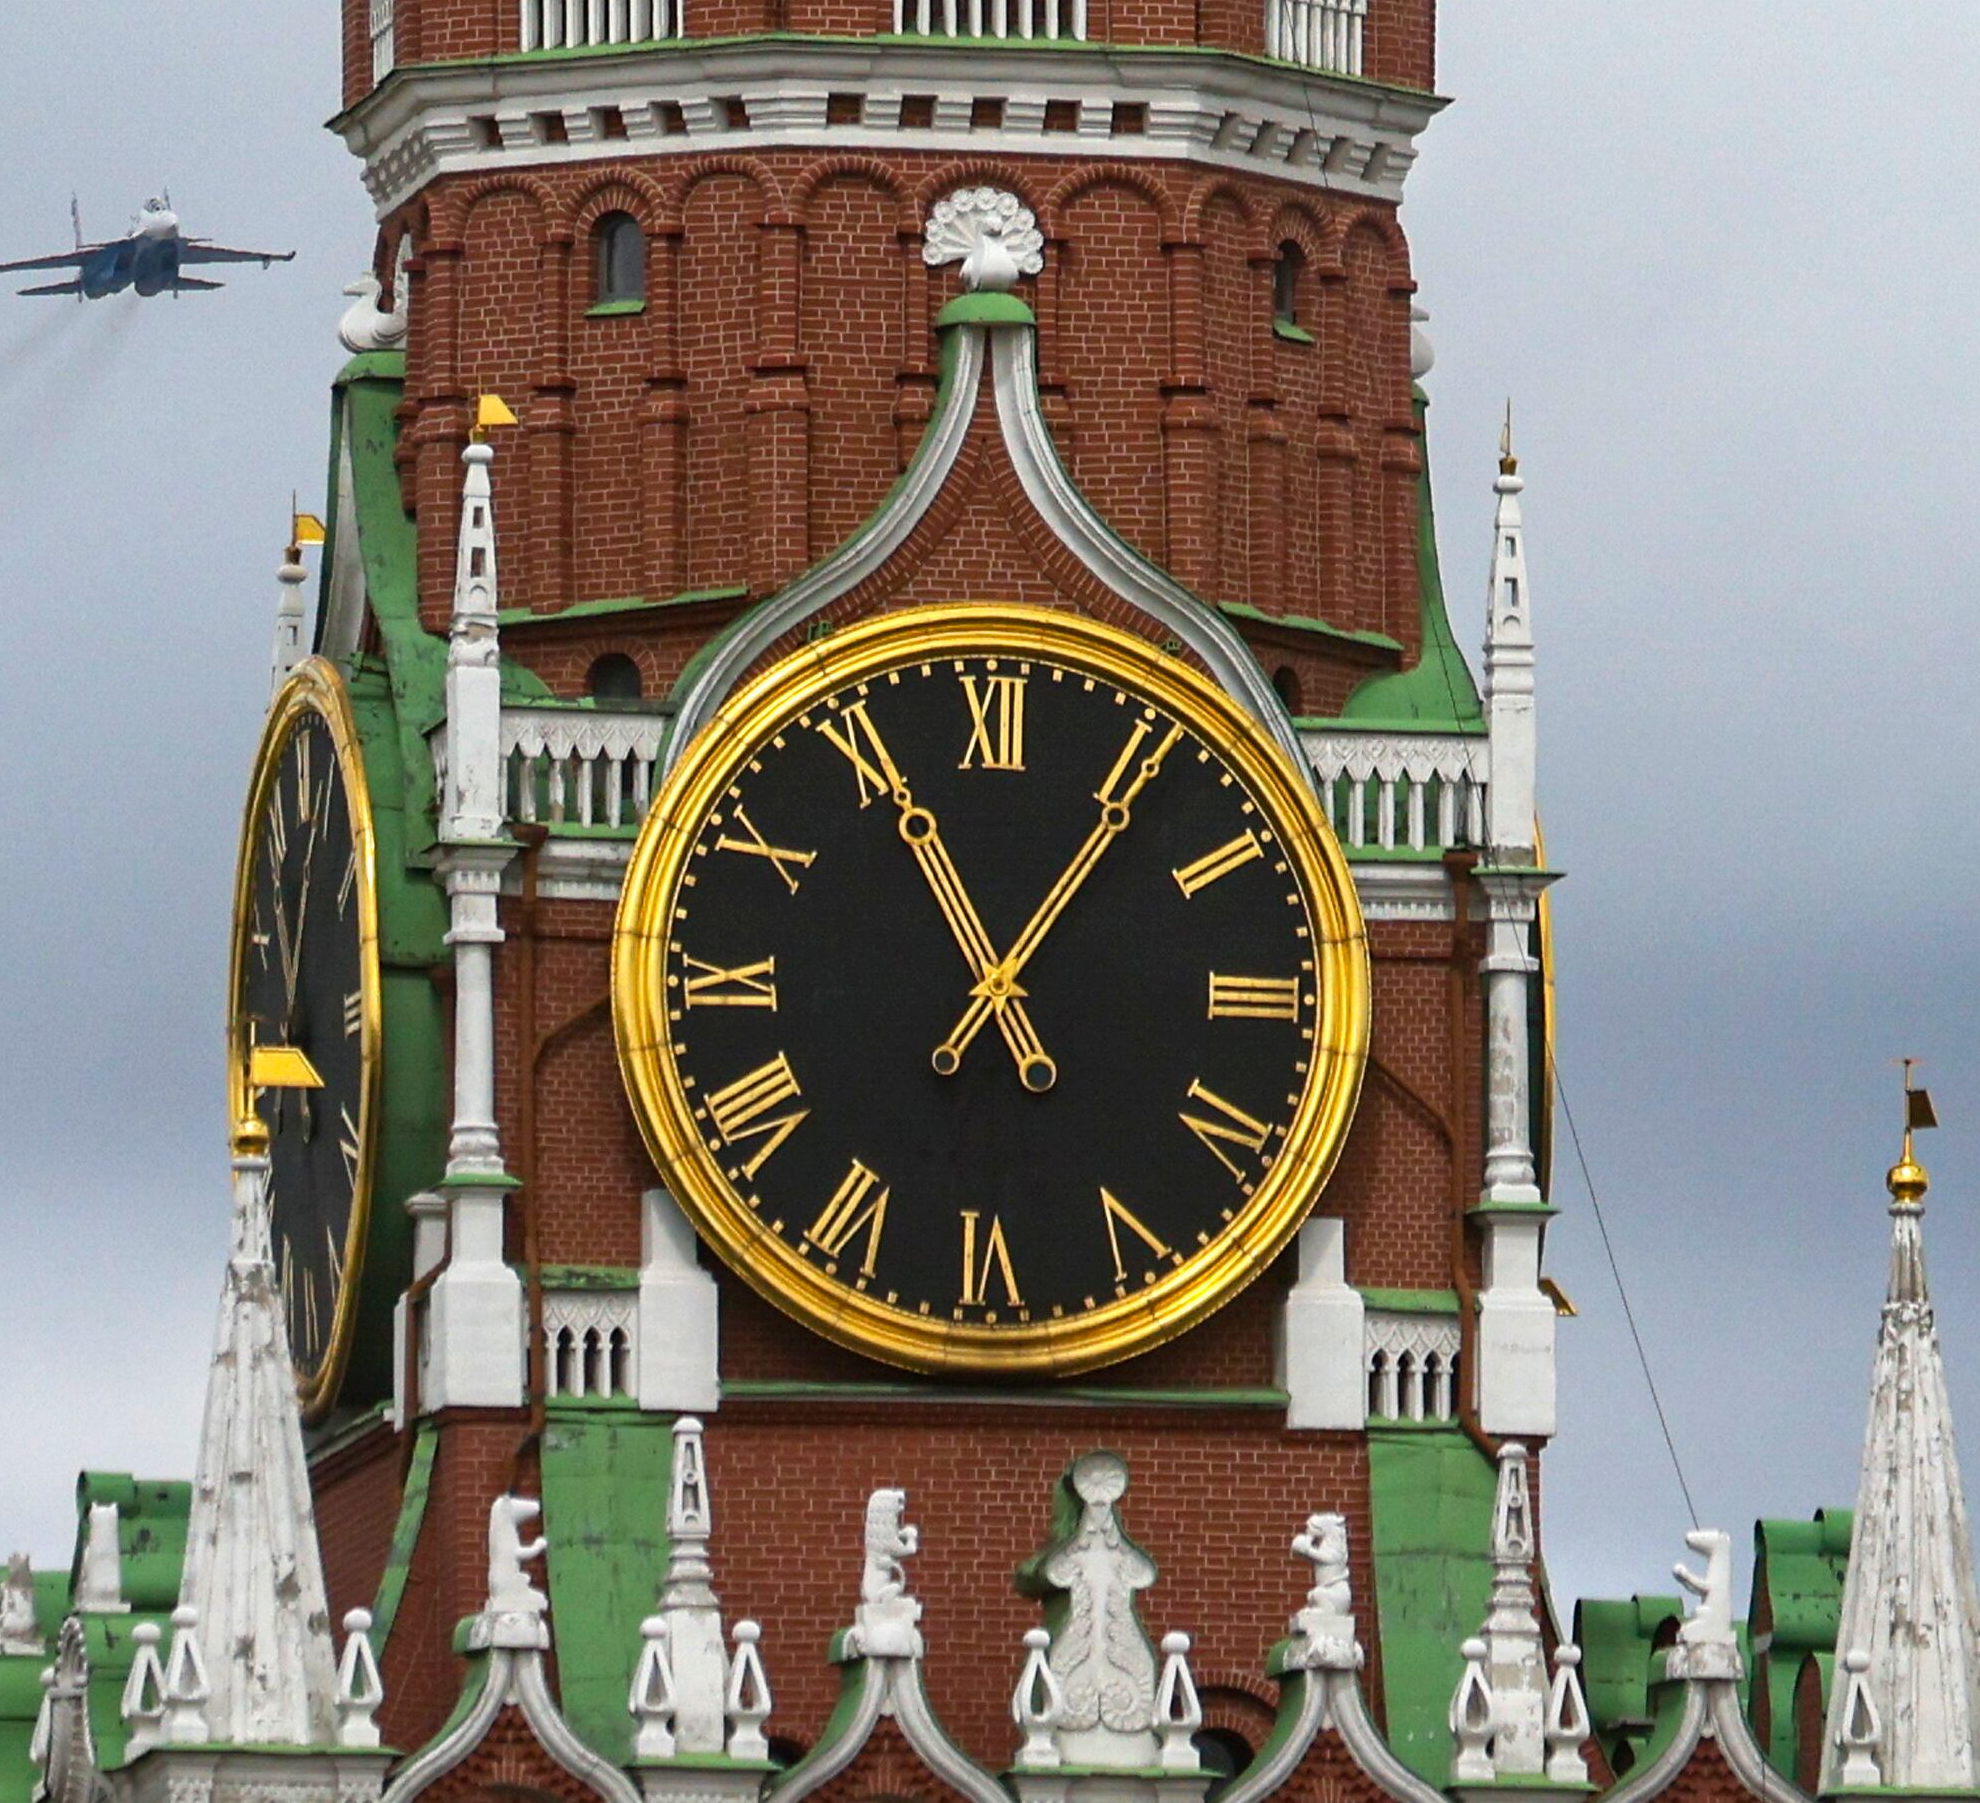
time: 11:05
